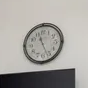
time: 11:26
